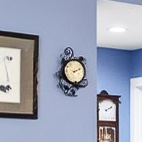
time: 2:11
